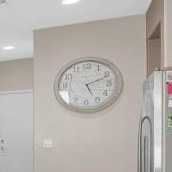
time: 5:11
